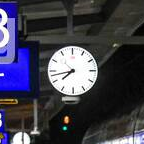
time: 7:42
